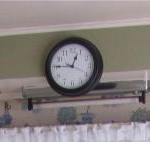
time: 12:45
